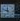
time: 11:48
